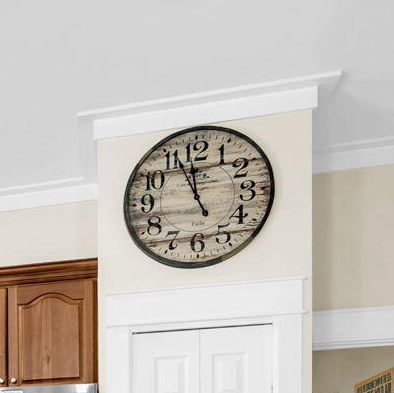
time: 11:56
